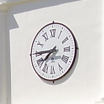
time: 7:44
